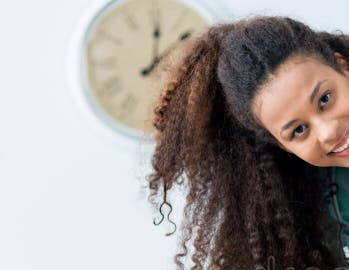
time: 12:07
